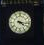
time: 4:16
